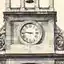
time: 8:46
